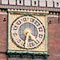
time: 6:21
